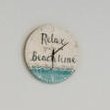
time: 6:08
